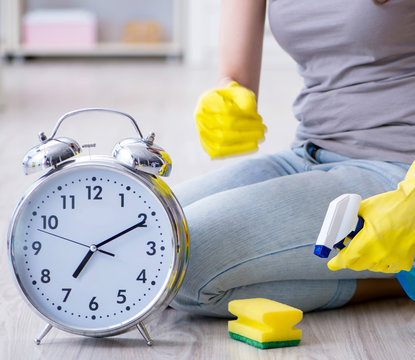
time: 7:10
